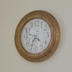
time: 4:35
